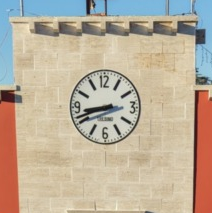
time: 8:41
